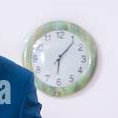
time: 6:06
